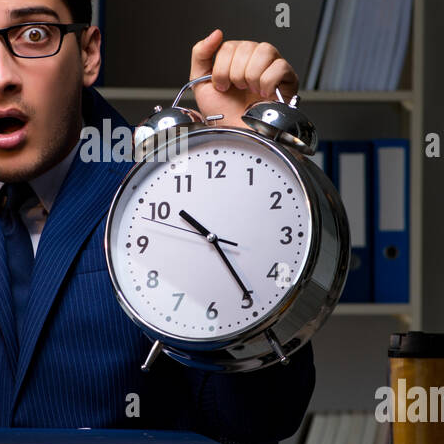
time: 10:24
